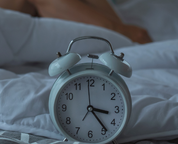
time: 3:23
